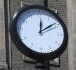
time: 12:09
